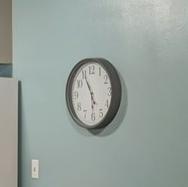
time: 5:55
